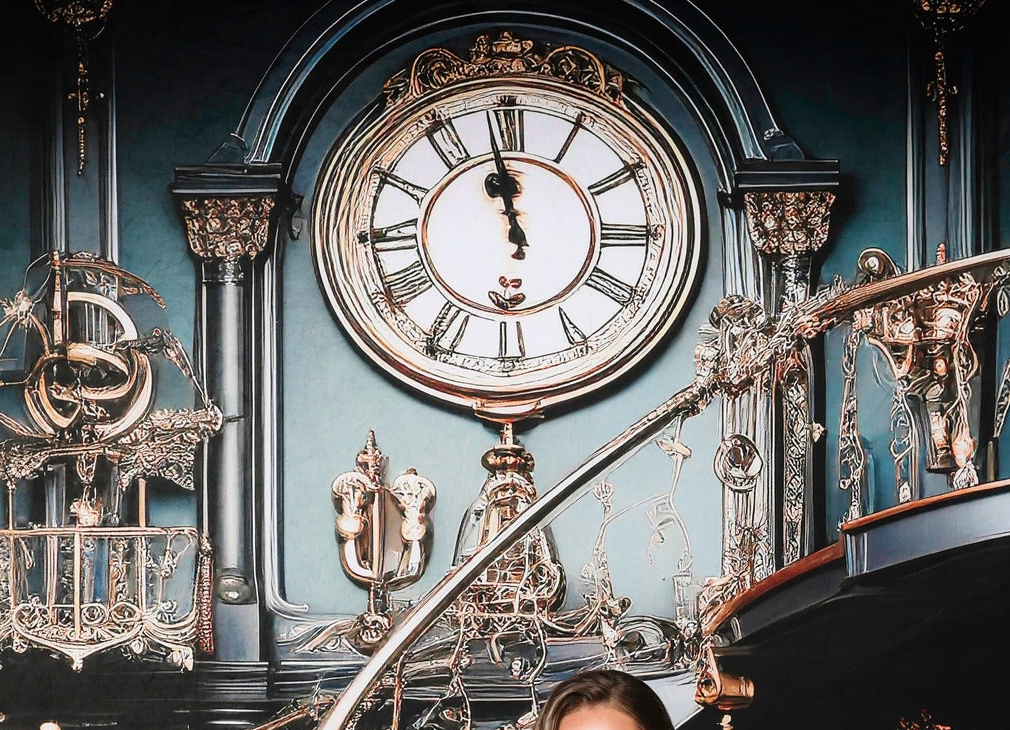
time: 11:58
